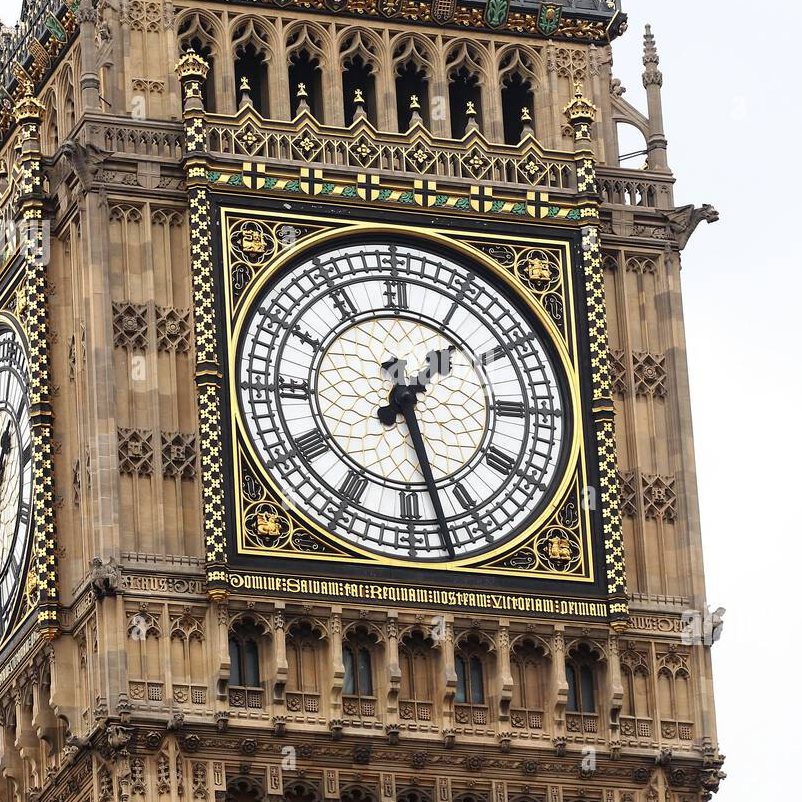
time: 1:27
